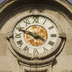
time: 3:48
